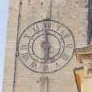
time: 5:59
